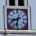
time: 8:32
